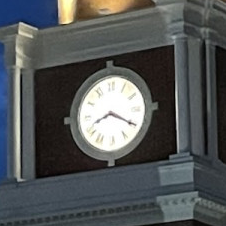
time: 8:20
